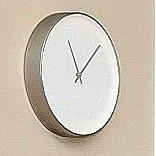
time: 11:07
